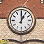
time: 1:00
